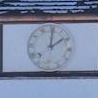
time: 2:00
